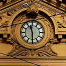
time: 11:29
